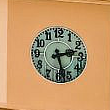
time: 2:27
